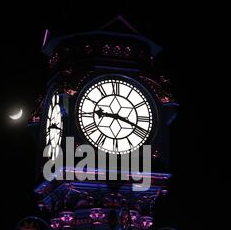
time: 9:18
